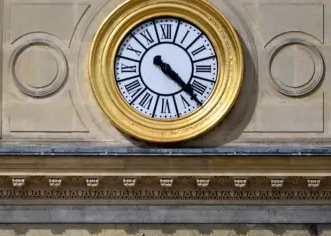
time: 4:22
